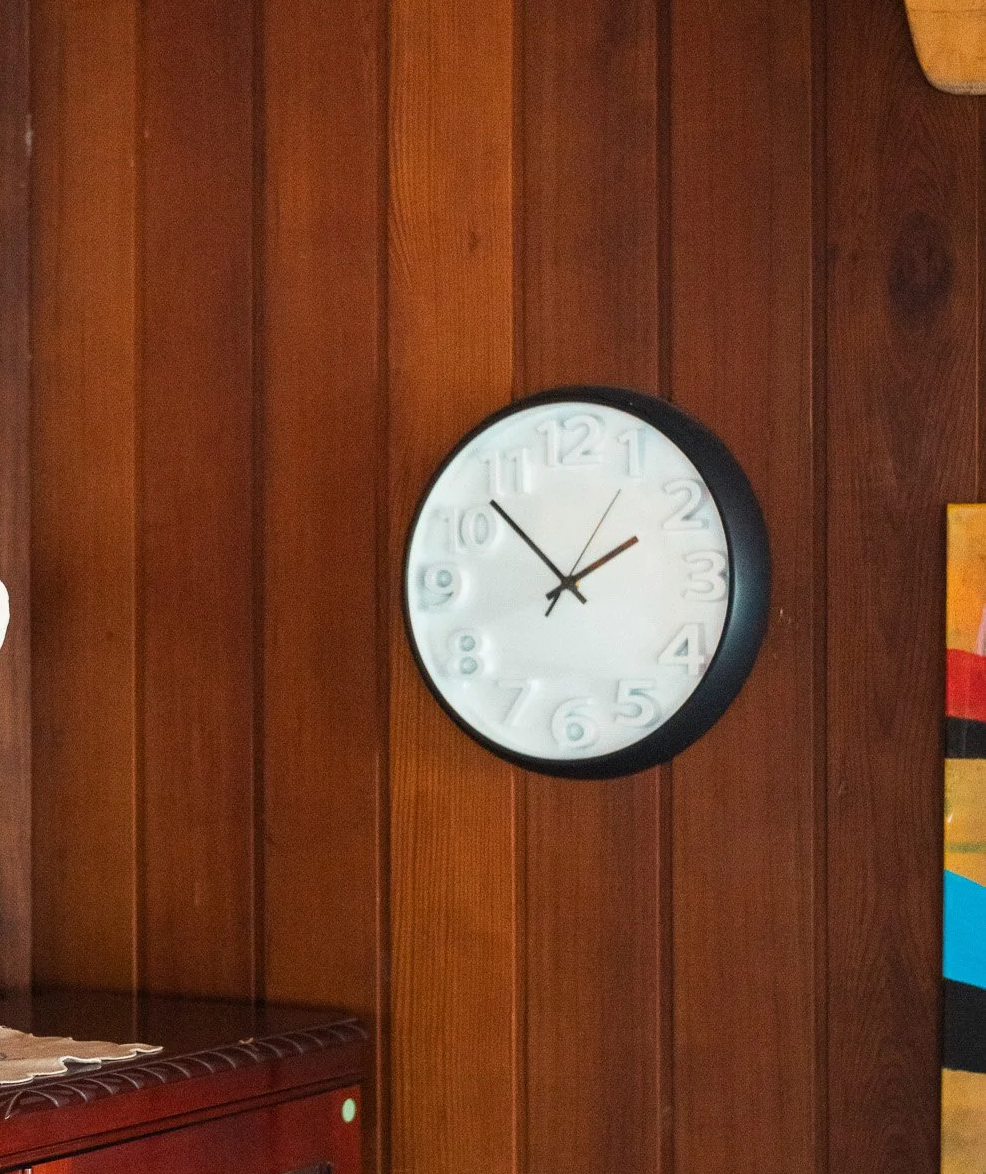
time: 1:52
